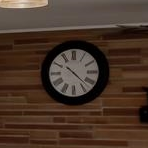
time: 10:22
